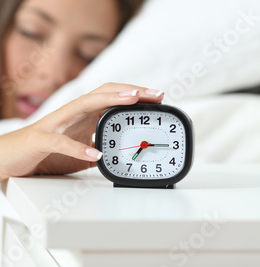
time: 7:15
